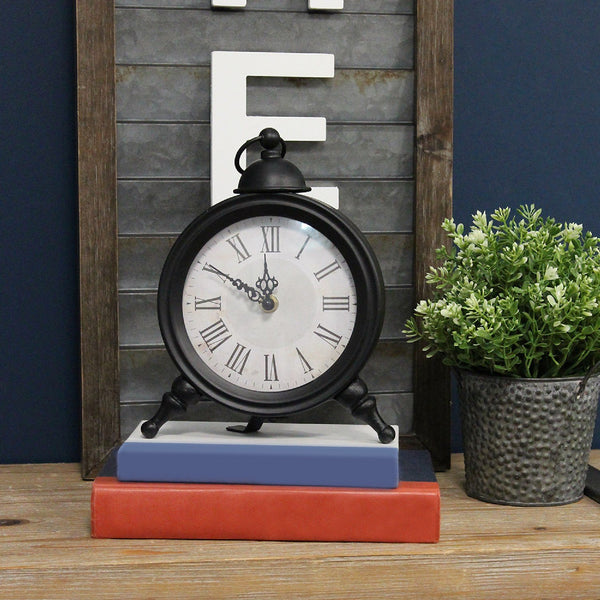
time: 11:50
